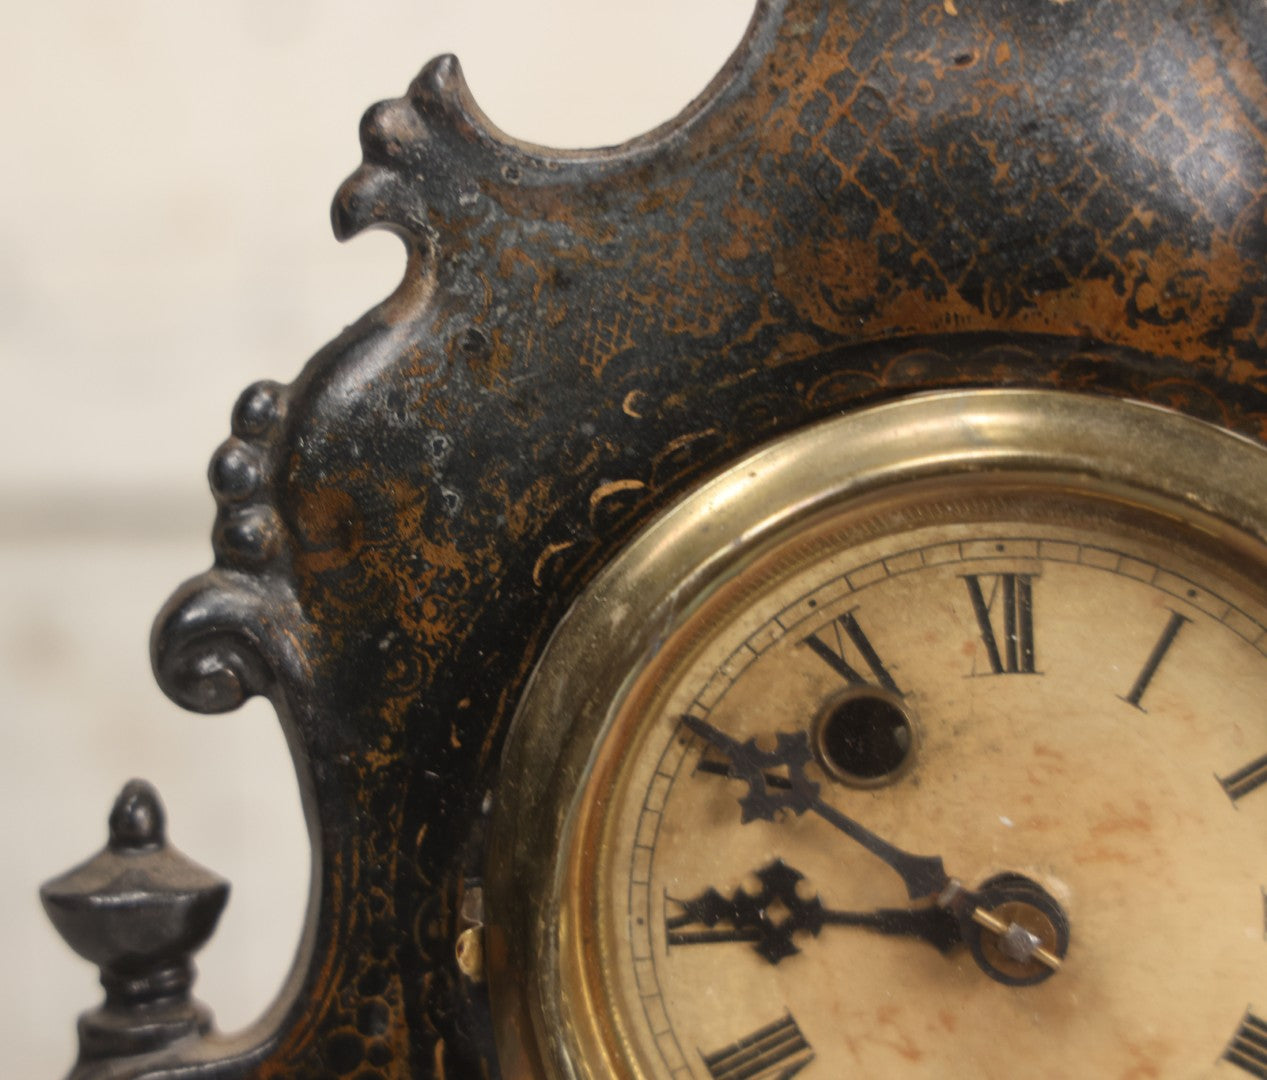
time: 8:50
